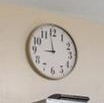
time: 8:58
